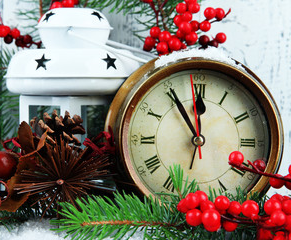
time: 11:54
